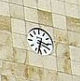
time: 3:32
